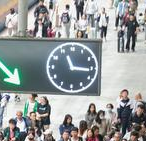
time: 11:16
